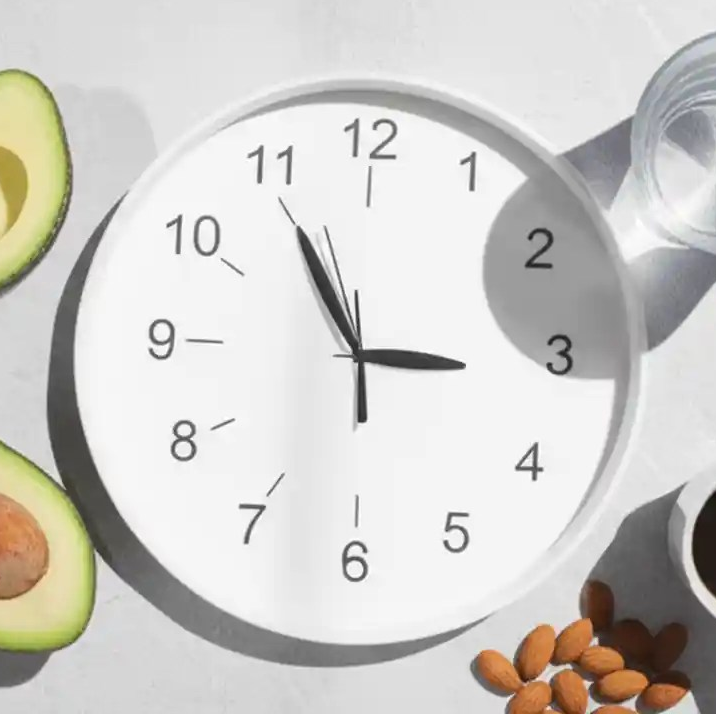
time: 2:54
